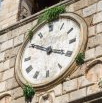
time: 3:50
